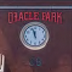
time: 11:57
